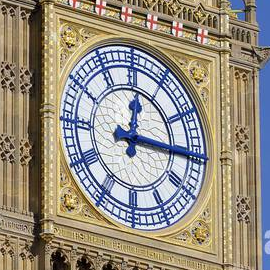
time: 12:15
